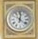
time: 12:21
